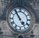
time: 4:54
